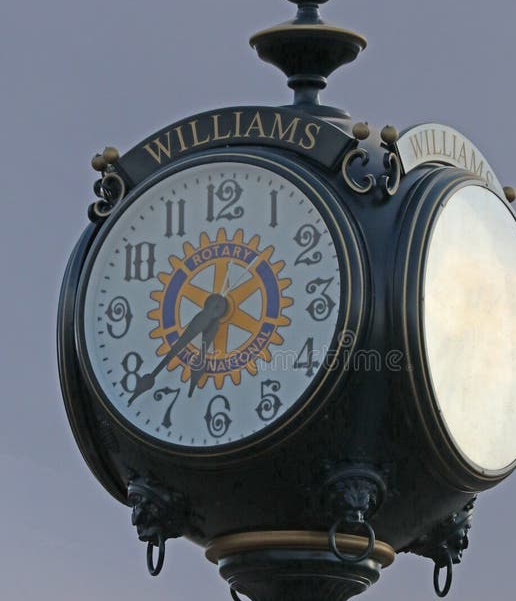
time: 6:38
